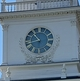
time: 10:42
